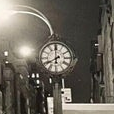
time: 7:59
